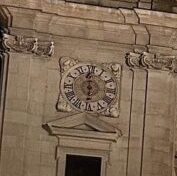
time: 5:59
